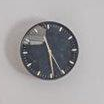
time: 11:29
